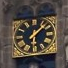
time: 1:30
